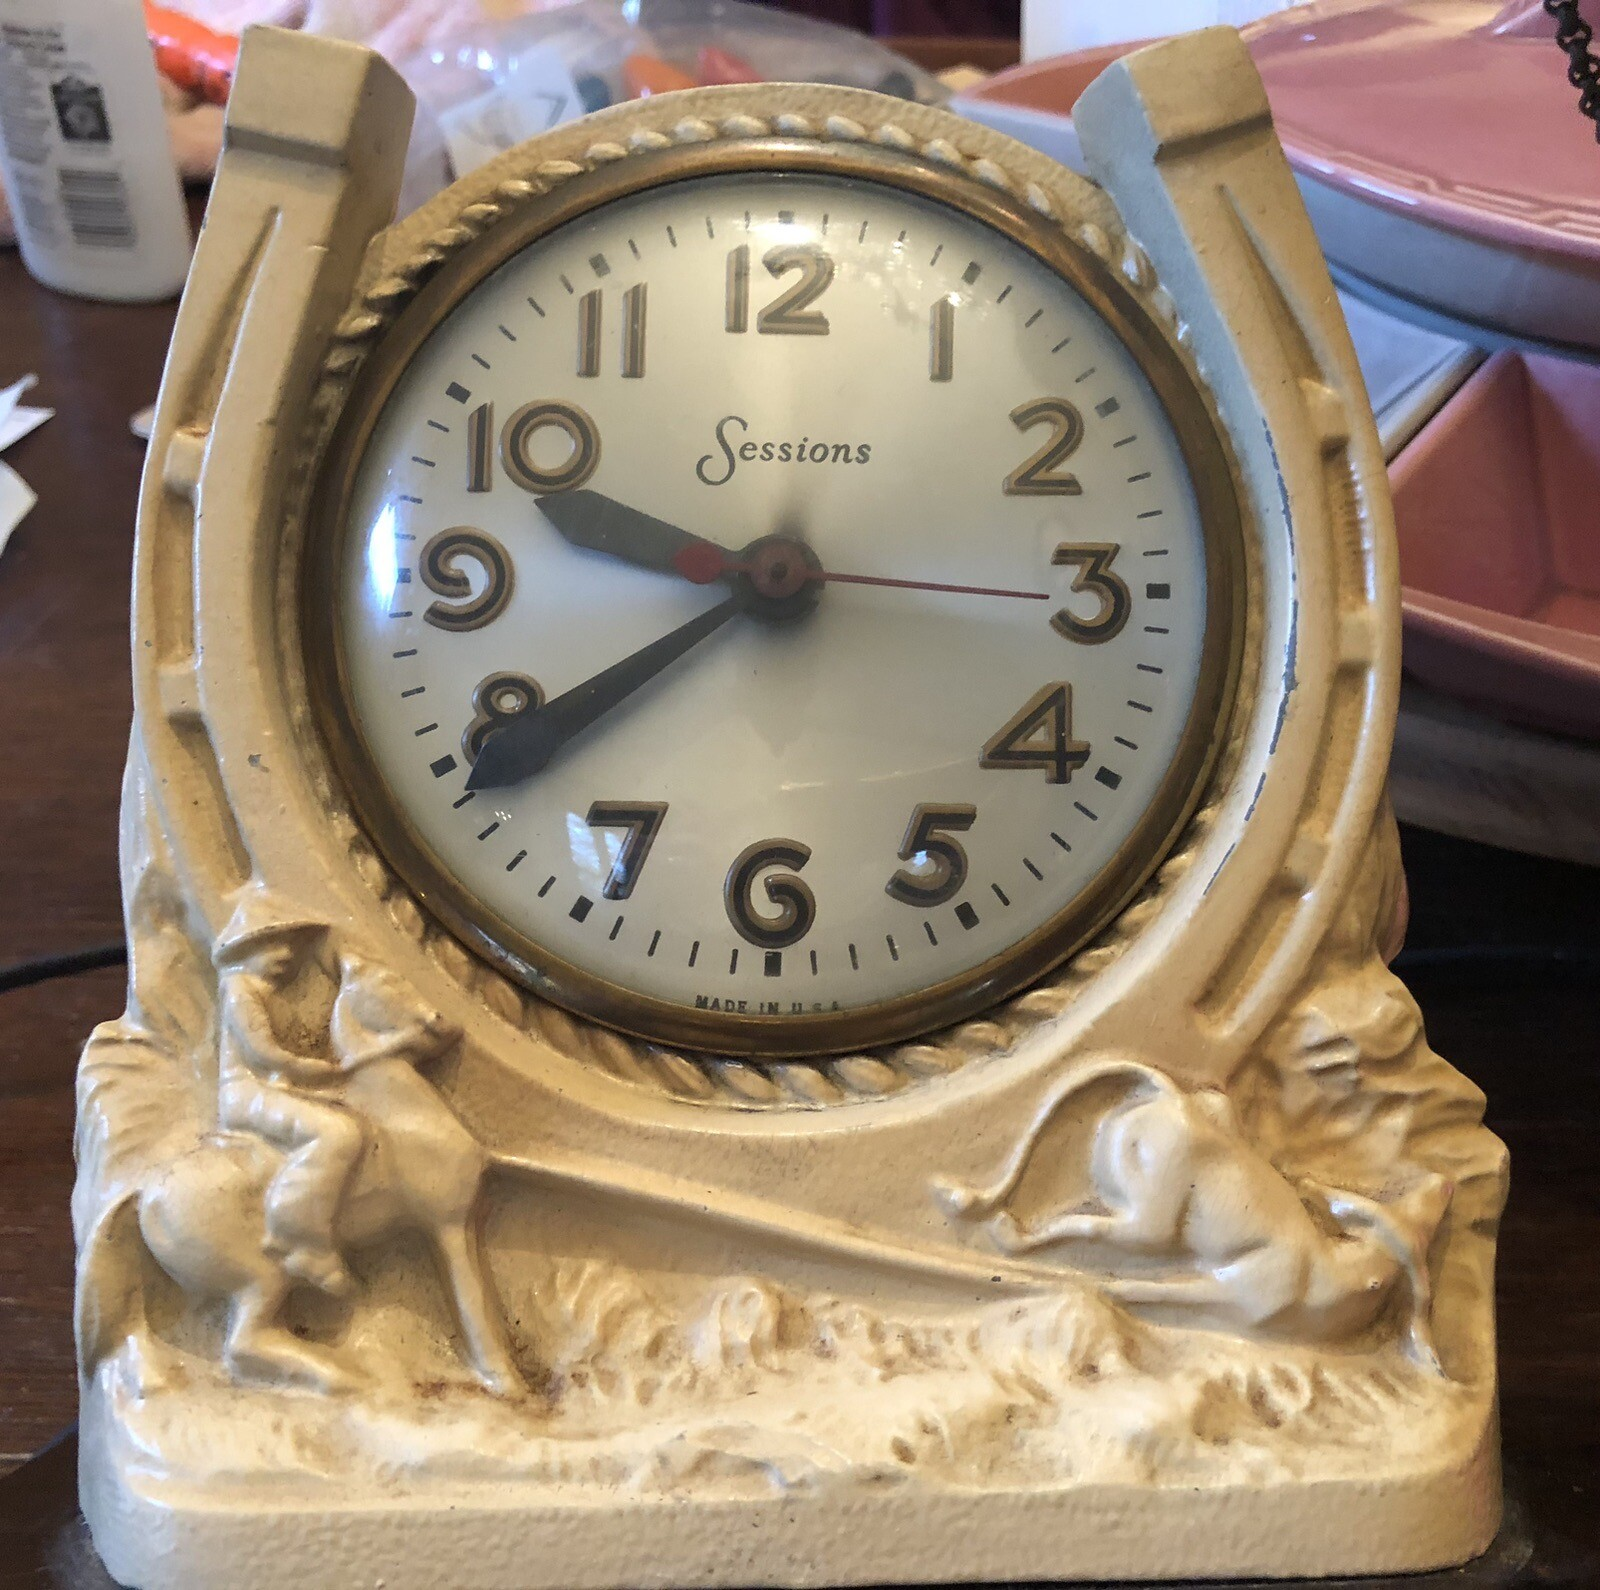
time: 9:39
